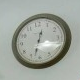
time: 12:32
